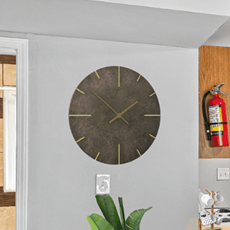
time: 1:51
